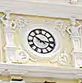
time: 10:15
